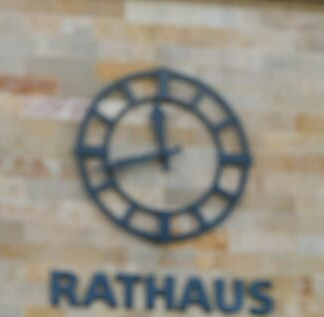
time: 11:42
